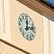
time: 12:13
